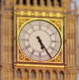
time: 5:24
